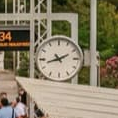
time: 10:42
